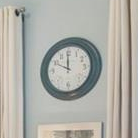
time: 9:59
